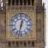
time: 12:32
